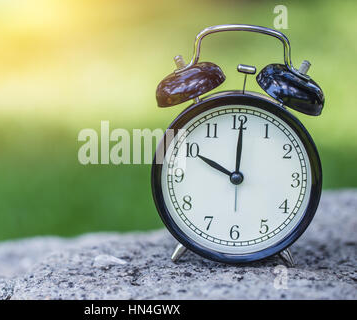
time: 10:00
